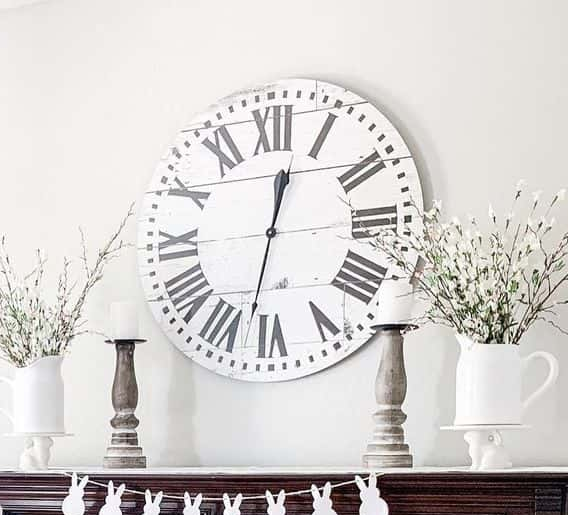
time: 12:32
